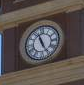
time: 11:25
